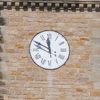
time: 11:49
